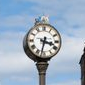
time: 3:32
